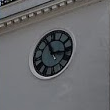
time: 11:16
